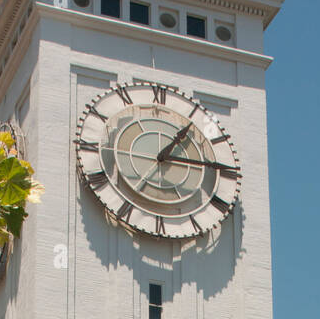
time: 1:14
